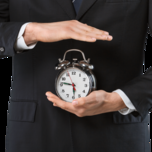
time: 5:46
